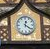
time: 12:21
